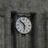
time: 5:51
